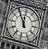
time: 11:54
